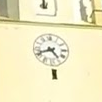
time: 4:41
